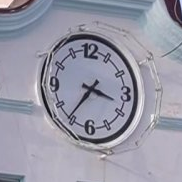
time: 3:36
